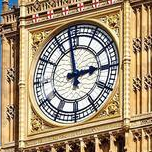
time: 2:58
